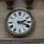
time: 2:18
